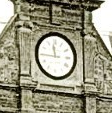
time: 11:45
